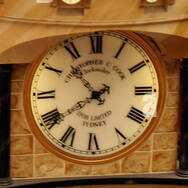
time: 10:39
